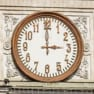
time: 2:59
